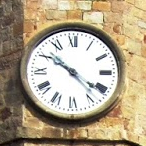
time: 10:21
